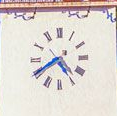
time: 4:40
